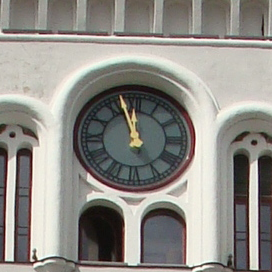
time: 11:57
